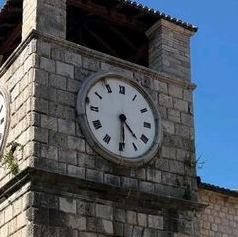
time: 4:29
